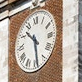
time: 10:29
